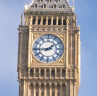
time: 1:44
